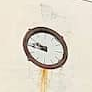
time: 9:45
